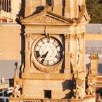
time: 7:34
